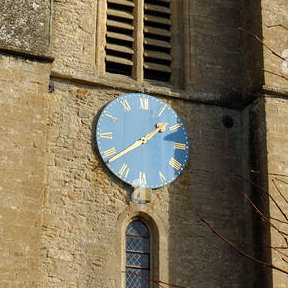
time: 1:38
